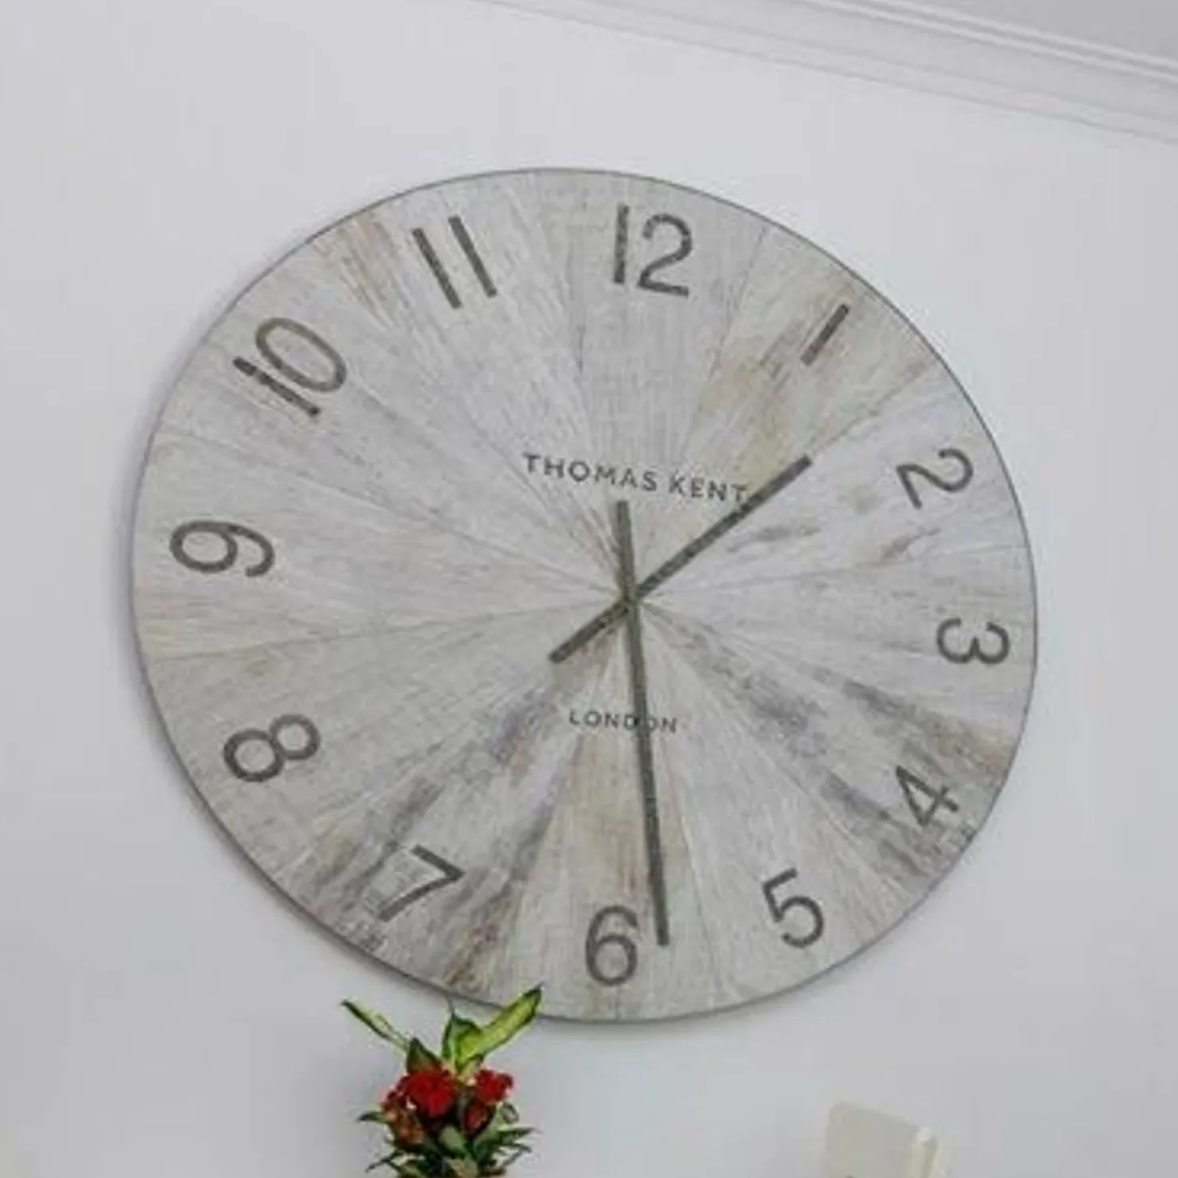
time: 1:28
